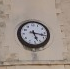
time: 5:17
